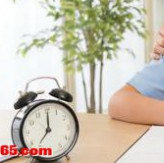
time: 7:00
